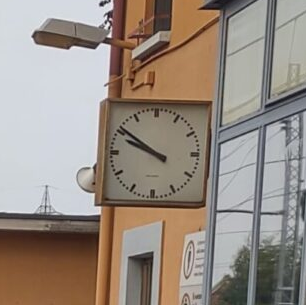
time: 9:50
